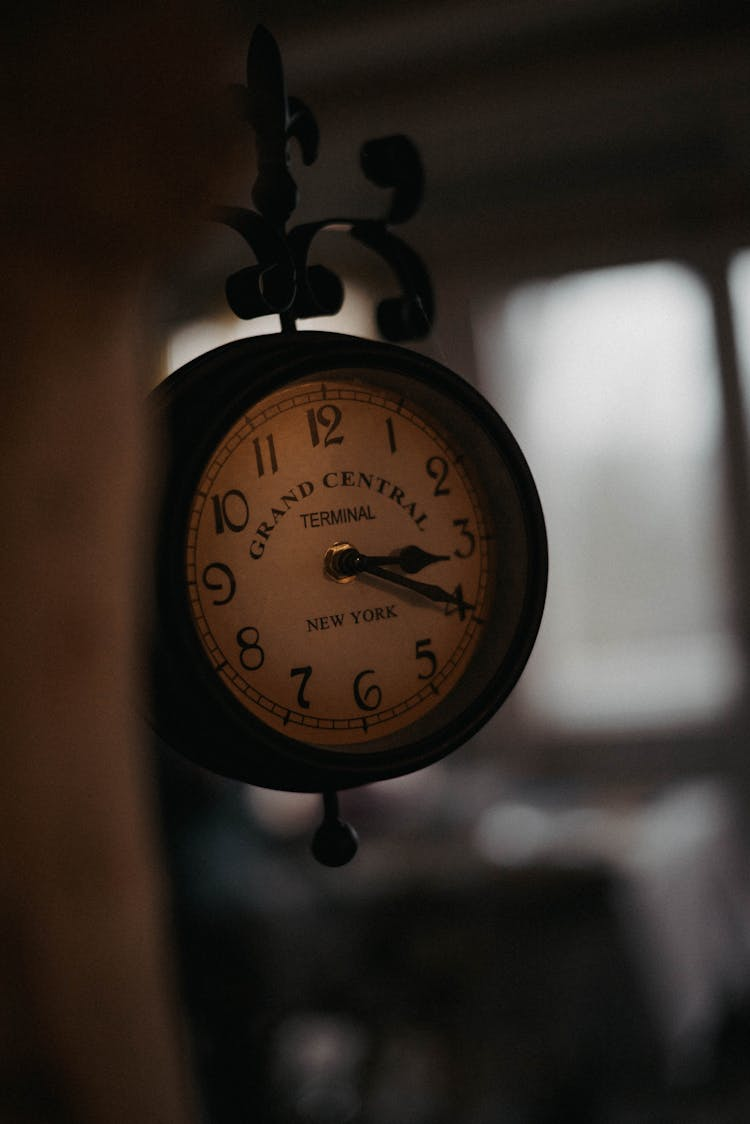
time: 3:19
